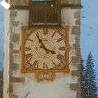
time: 3:54
